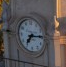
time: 7:14
